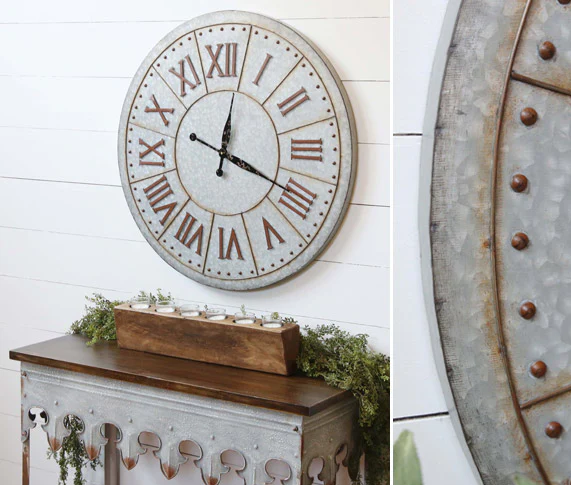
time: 12:19
